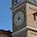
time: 11:37
